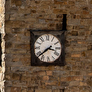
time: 3:38
